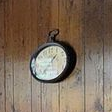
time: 1:36
